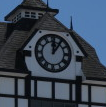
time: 12:05
